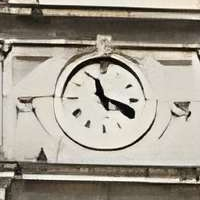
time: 11:18
